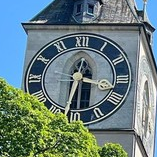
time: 12:32
